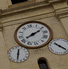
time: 8:11
